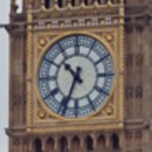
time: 10:34
